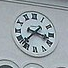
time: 3:37
